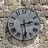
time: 2:29
